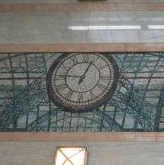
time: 12:46
